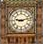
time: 9:12
